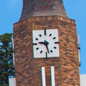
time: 9:28
